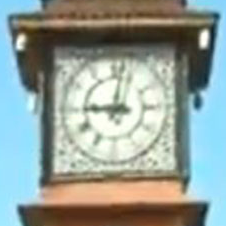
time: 9:01
